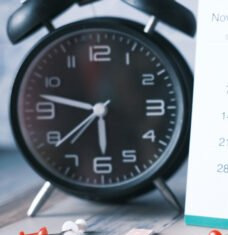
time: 5:47
